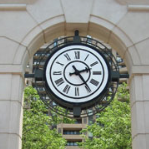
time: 2:24
